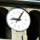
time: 9:05
